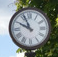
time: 9:56
